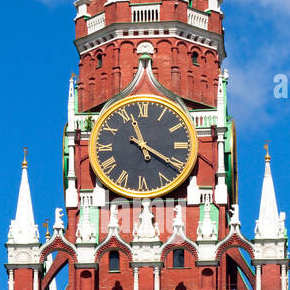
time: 11:20
